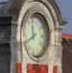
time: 11:40
